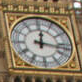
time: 12:17
